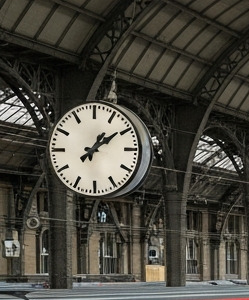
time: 1:09
